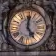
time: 5:01
